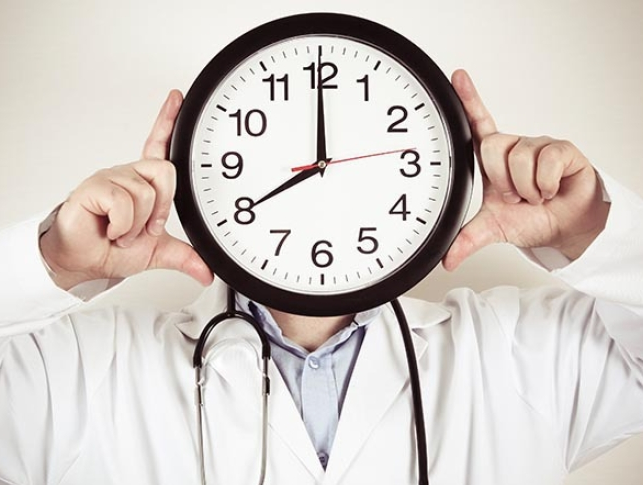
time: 7:59
